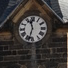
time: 11:32
